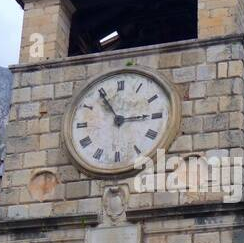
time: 2:54
